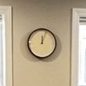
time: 12:03
